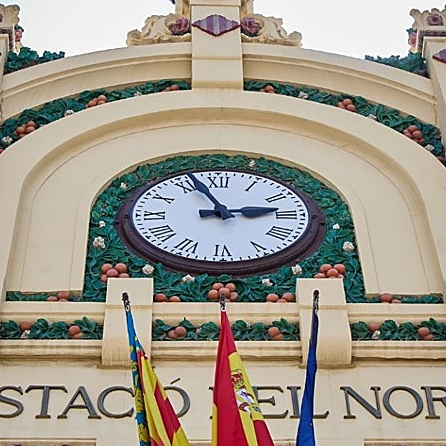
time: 2:56
